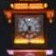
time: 6:55
